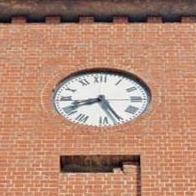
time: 8:25
